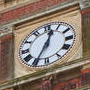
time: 12:34
